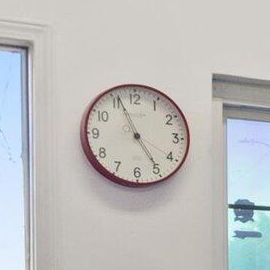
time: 4:56
